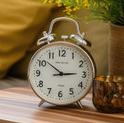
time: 2:51
